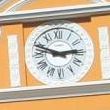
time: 2:48
